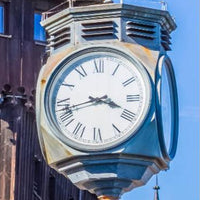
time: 3:42
